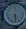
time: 6:29
